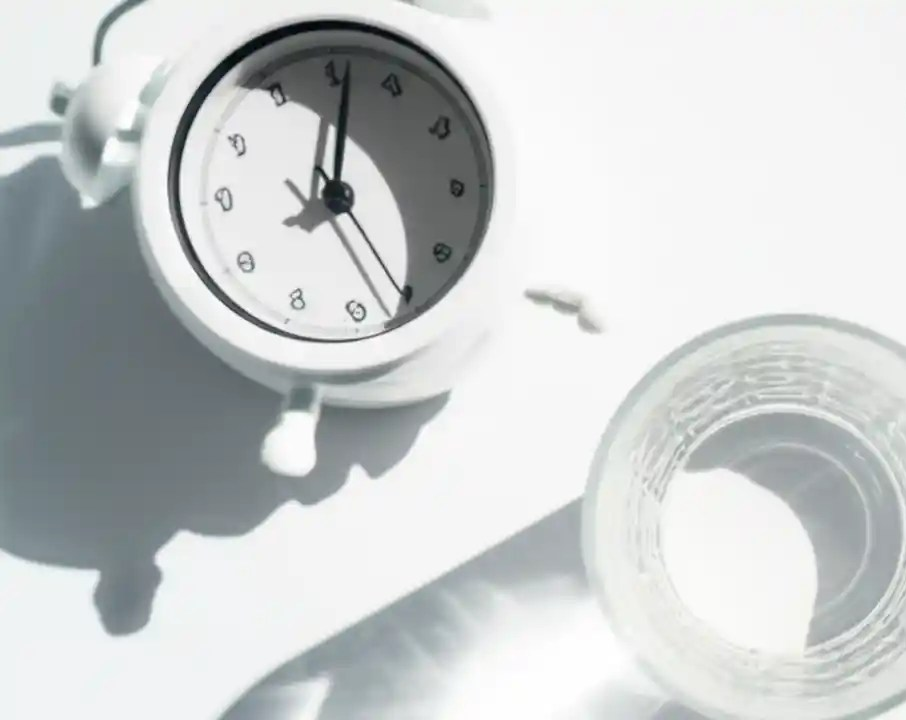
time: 8:01
